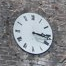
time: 3:15
